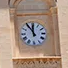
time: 11:54
